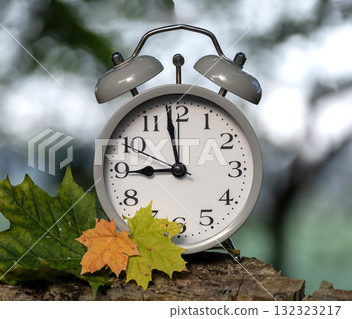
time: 8:58
